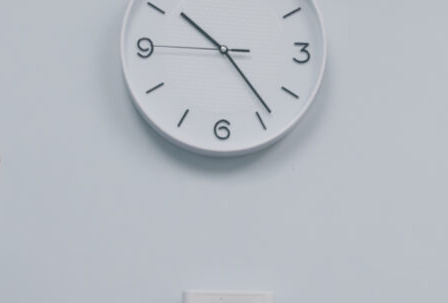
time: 10:23
